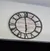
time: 5:59
